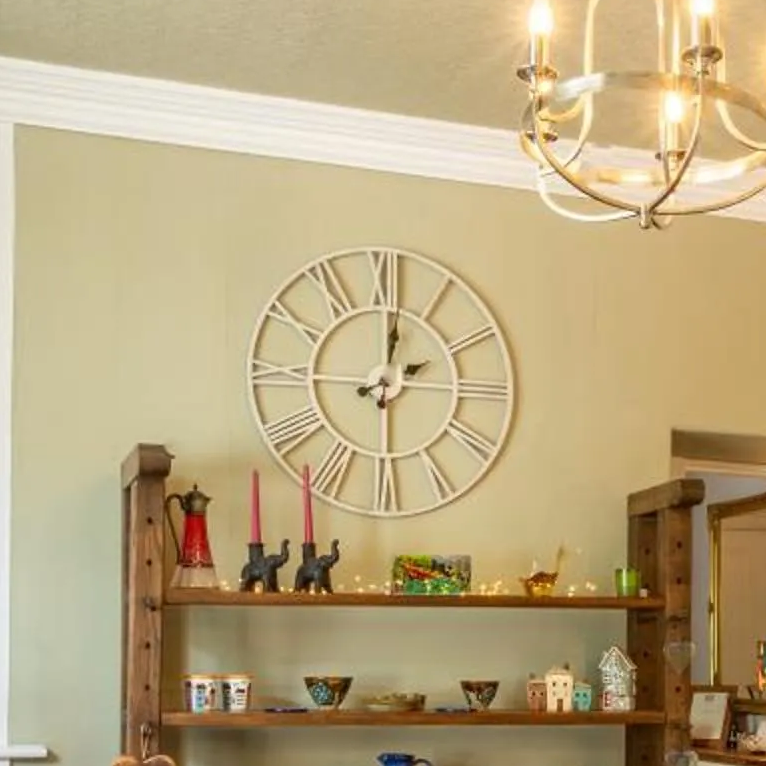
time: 2:01
